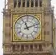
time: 11:11
